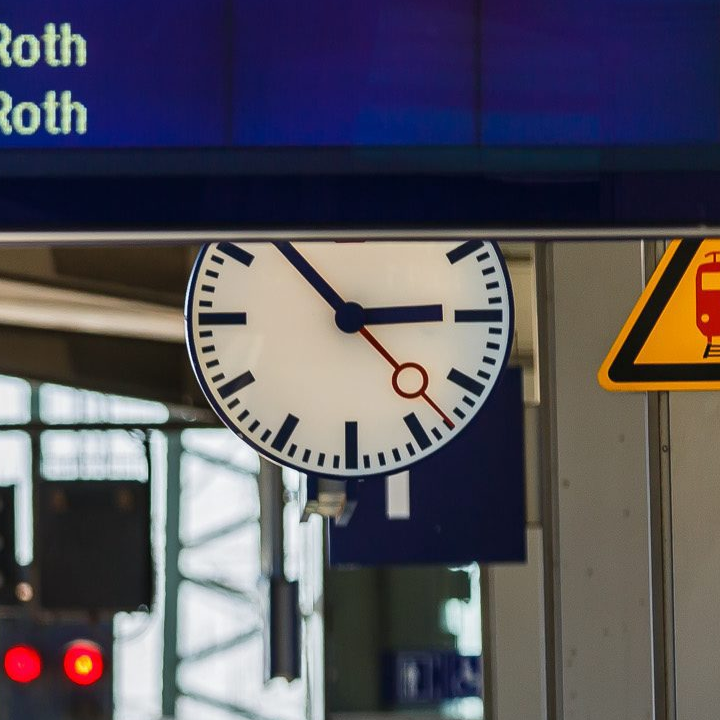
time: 2:53
